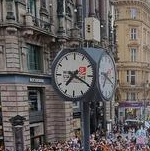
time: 7:19
